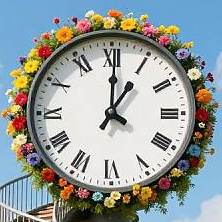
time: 1:00
